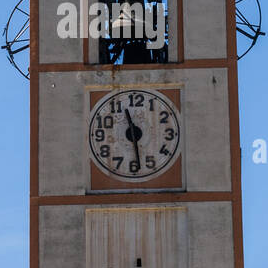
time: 11:28
